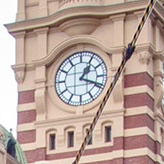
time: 1:18
